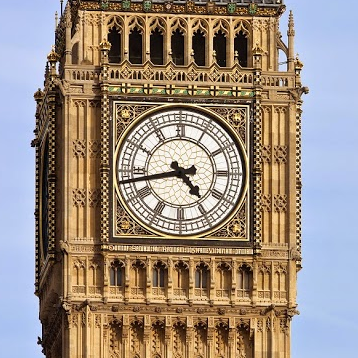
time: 4:42
